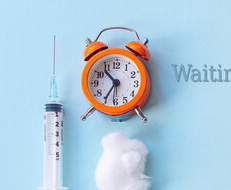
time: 10:35
